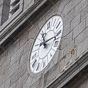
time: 11:16
